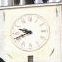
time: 9:41
